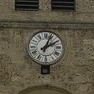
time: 2:03
